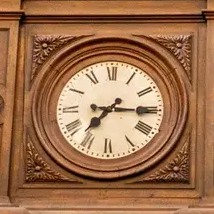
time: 7:15
